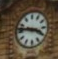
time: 3:46
